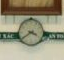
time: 3:39
